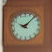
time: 9:07
